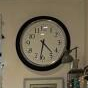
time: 4:31
